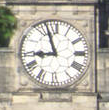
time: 8:56
